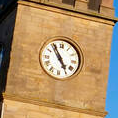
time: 4:54
